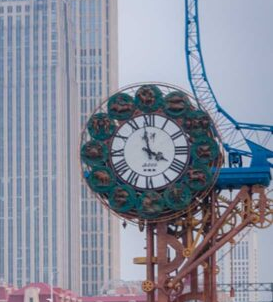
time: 3:58
